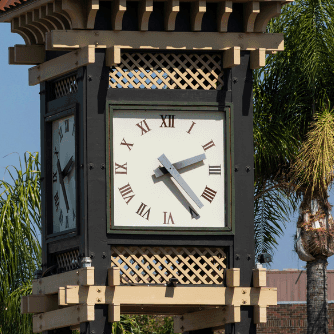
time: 2:24
